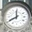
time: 11:40
